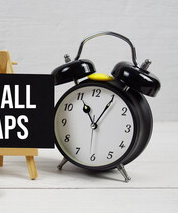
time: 11:05
